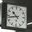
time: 10:43
